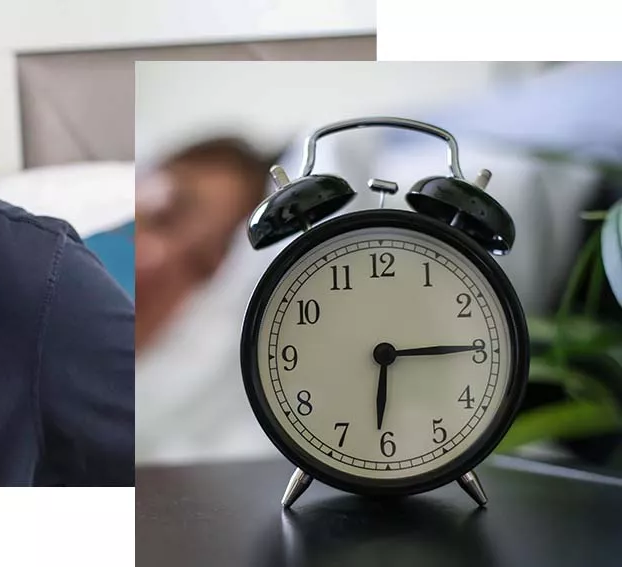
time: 6:14
